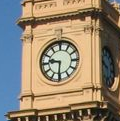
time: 9:30
